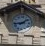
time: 1:43
